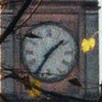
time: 1:35
